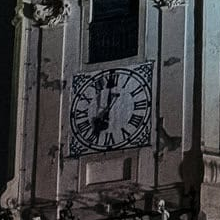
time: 7:00
